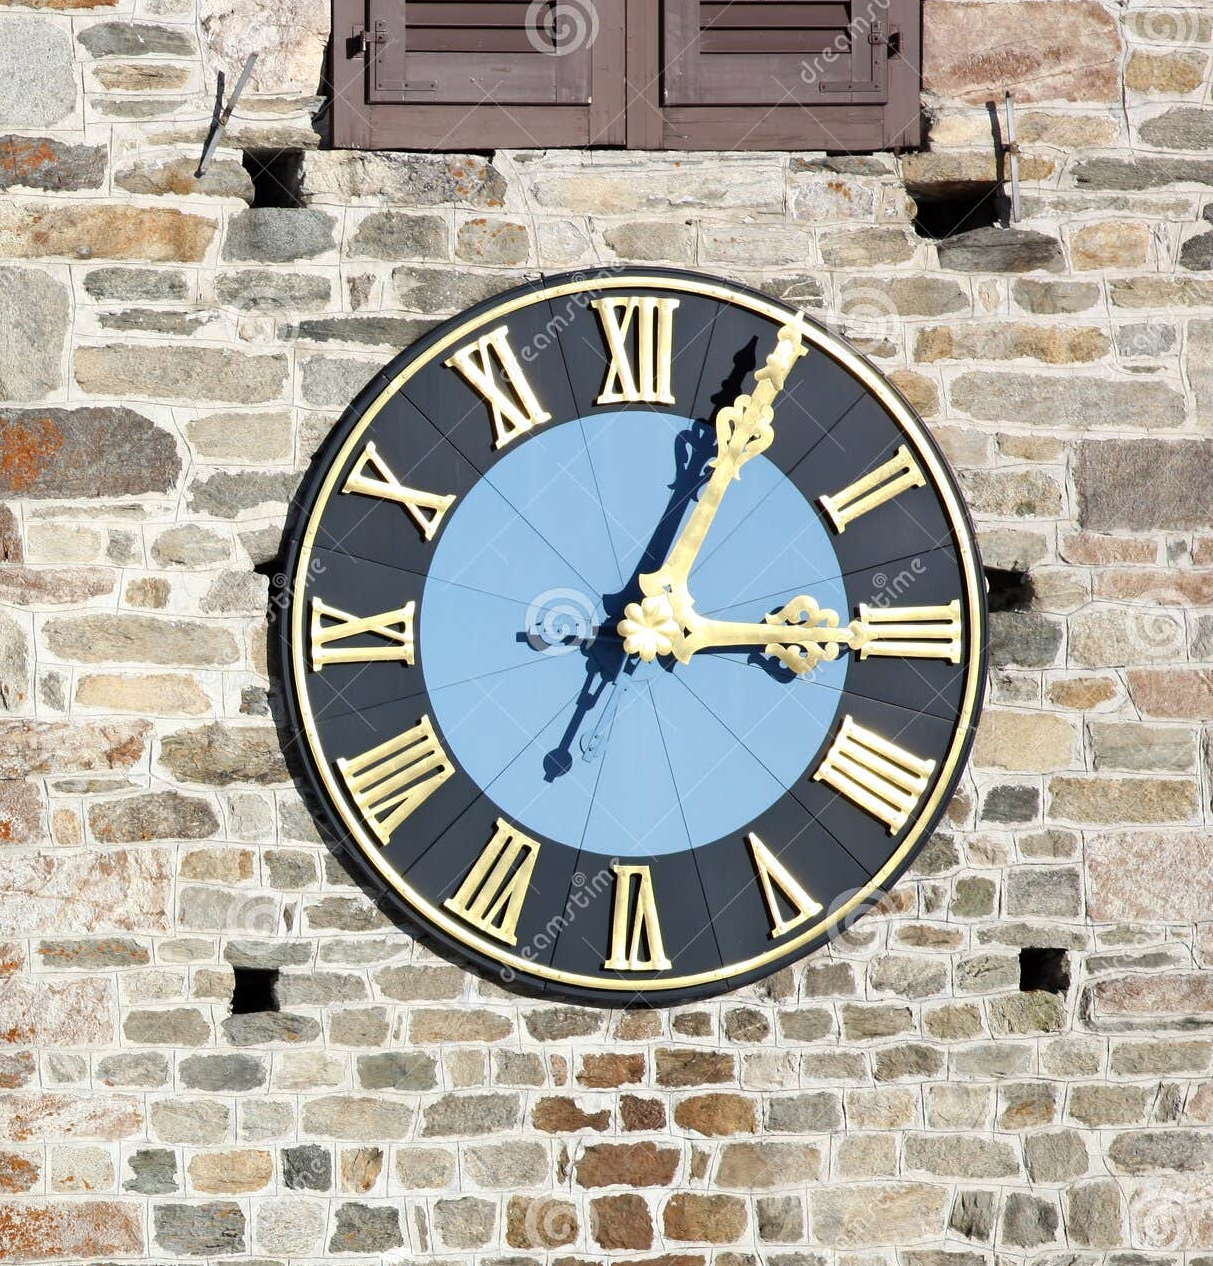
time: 3:04
